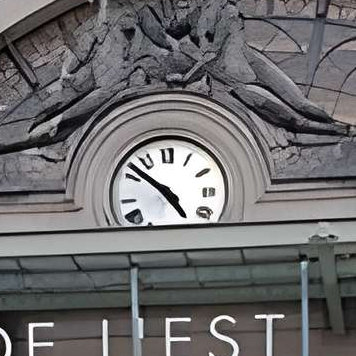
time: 4:51
